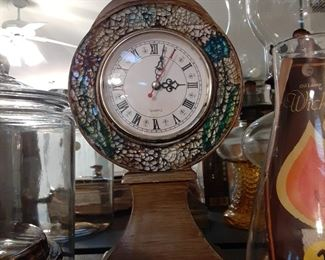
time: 3:02
